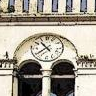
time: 10:39
